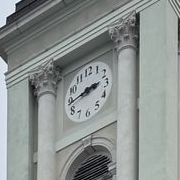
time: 2:43
